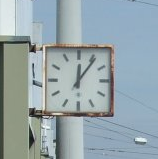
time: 12:06
